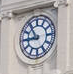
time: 8:54
